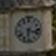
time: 6:17
